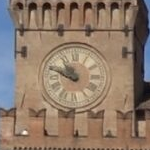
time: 10:48
